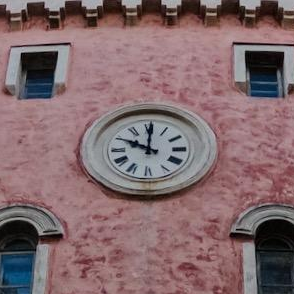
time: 10:00
